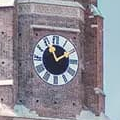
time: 1:56
